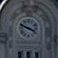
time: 3:48
